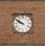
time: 9:50
